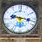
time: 9:17
